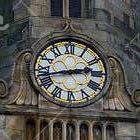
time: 2:42
